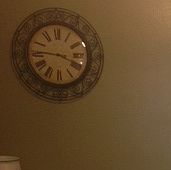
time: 3:46
